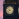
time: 3:37
